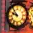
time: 9:53
